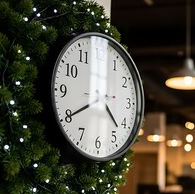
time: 4:40
